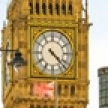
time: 4:22
